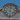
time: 4:01
